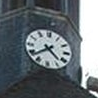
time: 4:38
